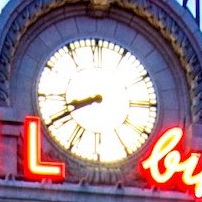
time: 8:40
